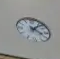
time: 4:07
